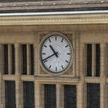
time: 10:41
